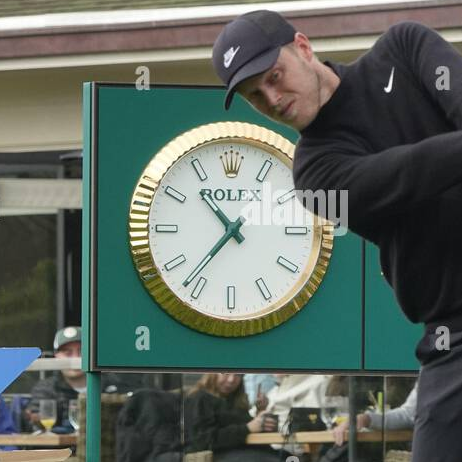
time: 10:36
